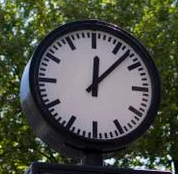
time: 12:07
